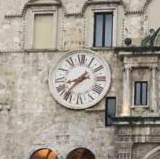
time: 8:37
